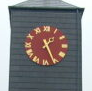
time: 1:25
